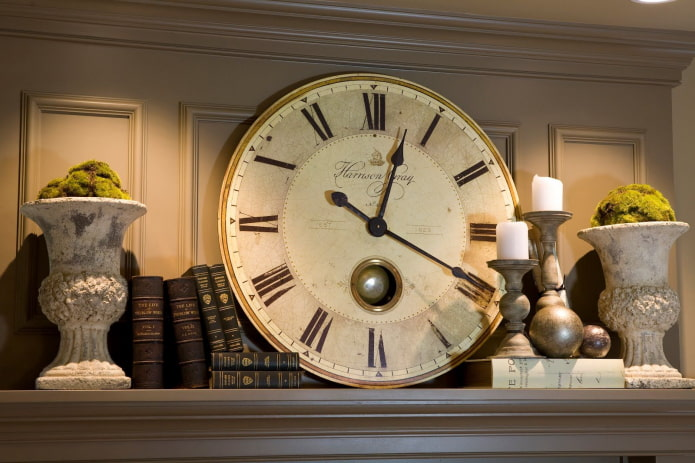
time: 12:19
